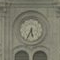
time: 5:33
